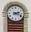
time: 2:18
